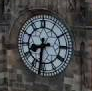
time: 8:31
